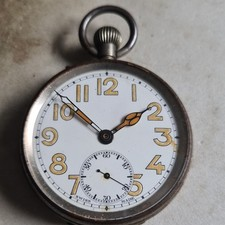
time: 1:51
